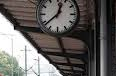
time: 12:38
